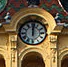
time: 12:01
